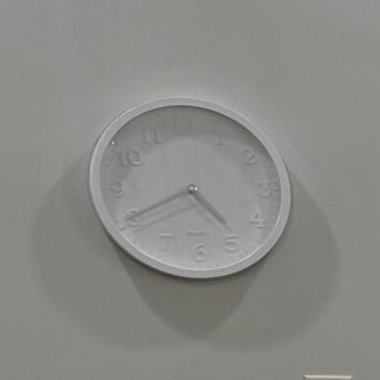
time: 4:40
